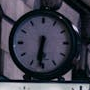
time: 6:31
